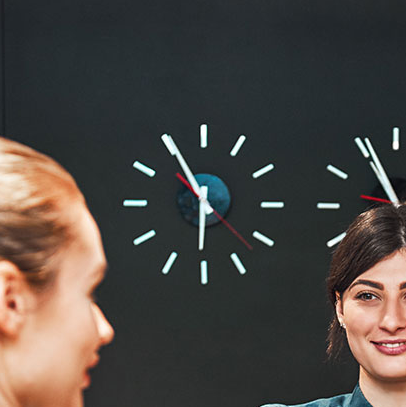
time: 5:55
